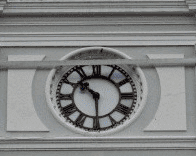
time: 10:29
